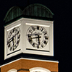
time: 5:42
